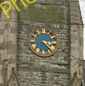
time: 3:22
